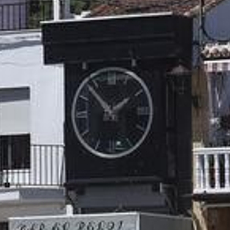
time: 1:52
